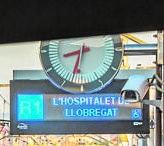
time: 8:32
